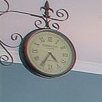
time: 4:35
